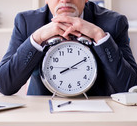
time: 8:10
